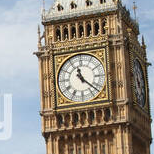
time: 11:21
